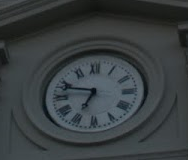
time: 6:47
